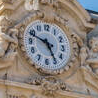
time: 4:48
